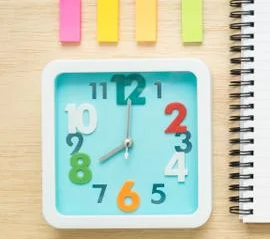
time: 8:00
